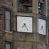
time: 7:24
